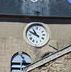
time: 10:49
